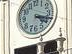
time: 4:18
